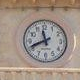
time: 11:41
